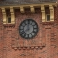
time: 7:59
